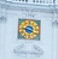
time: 9:20
